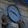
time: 9:48
